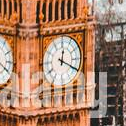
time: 12:19
